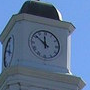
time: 11:51
